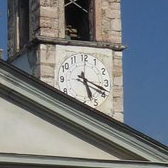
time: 5:18
